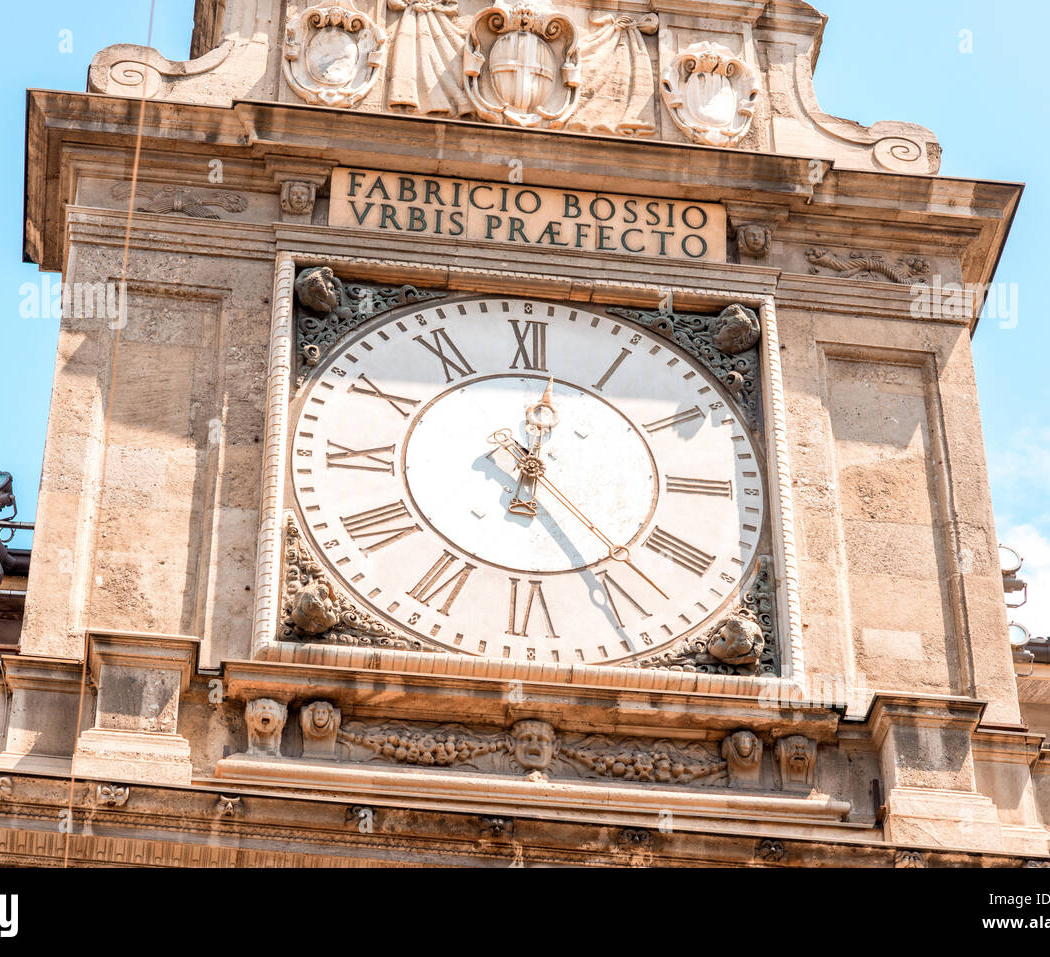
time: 12:24
